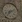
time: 7:11
